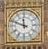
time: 11:48
